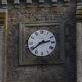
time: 2:39
